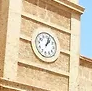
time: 1:02
